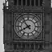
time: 7:53
